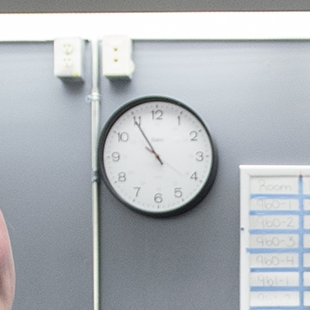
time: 10:54
